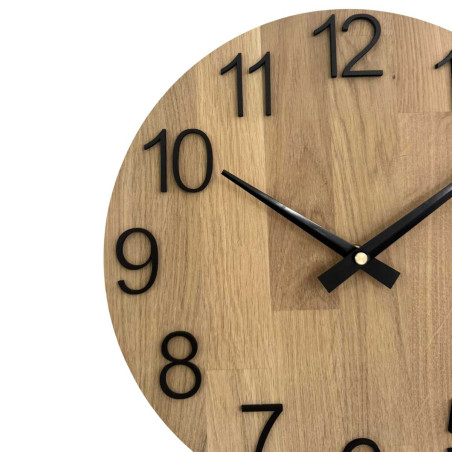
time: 1:50
